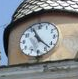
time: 11:22
